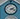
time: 2:18
